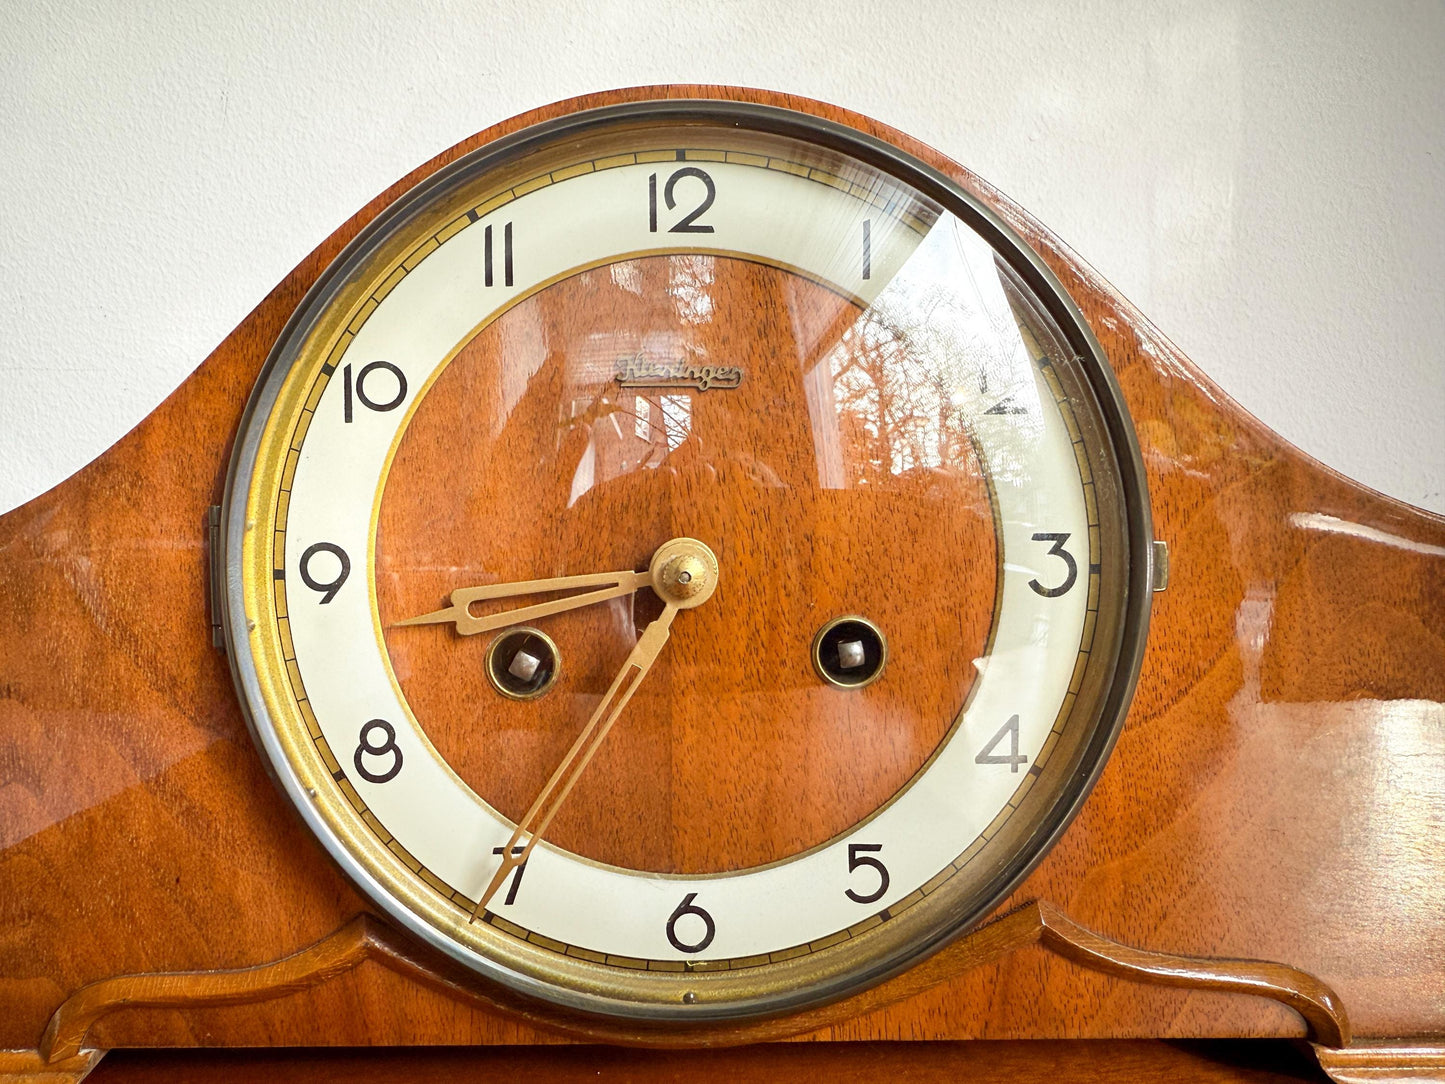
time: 8:35
